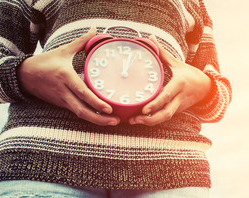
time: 12:02
